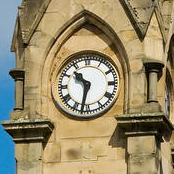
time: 10:32
